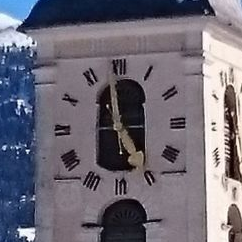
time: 4:58
